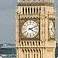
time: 4:11
